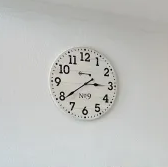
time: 2:39
